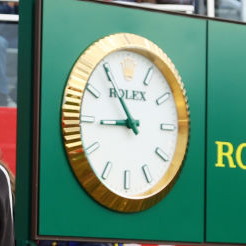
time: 8:54
